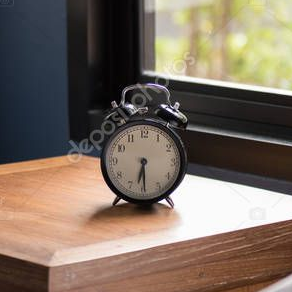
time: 6:29
